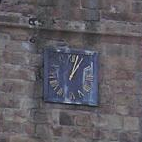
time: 1:02
